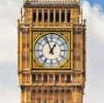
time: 12:56
